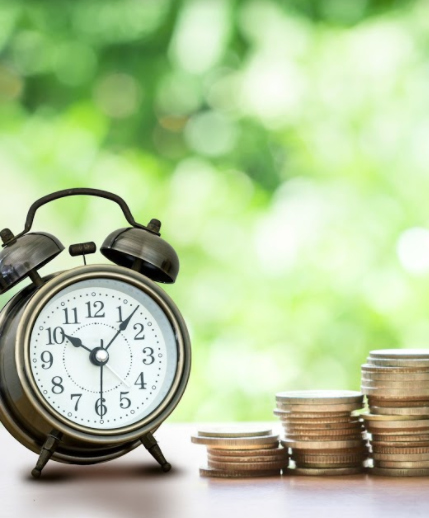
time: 10:07
